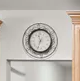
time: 11:33
